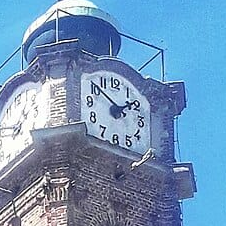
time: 1:50
